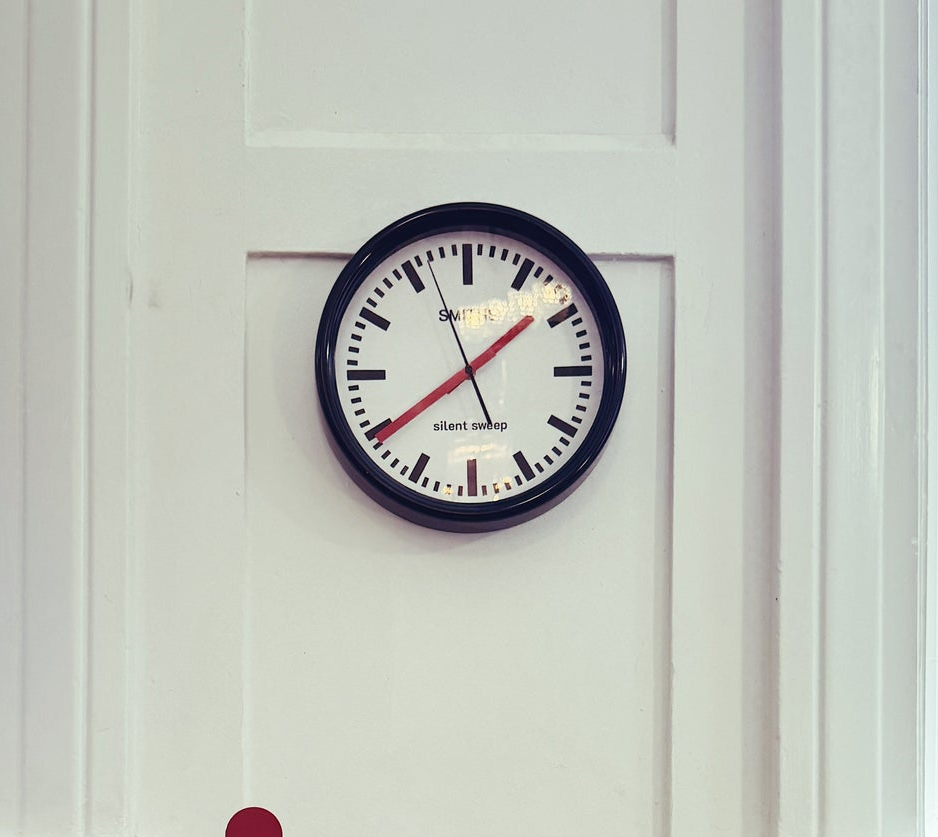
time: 1:39
